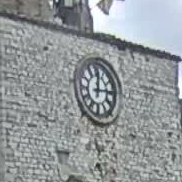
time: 12:14
